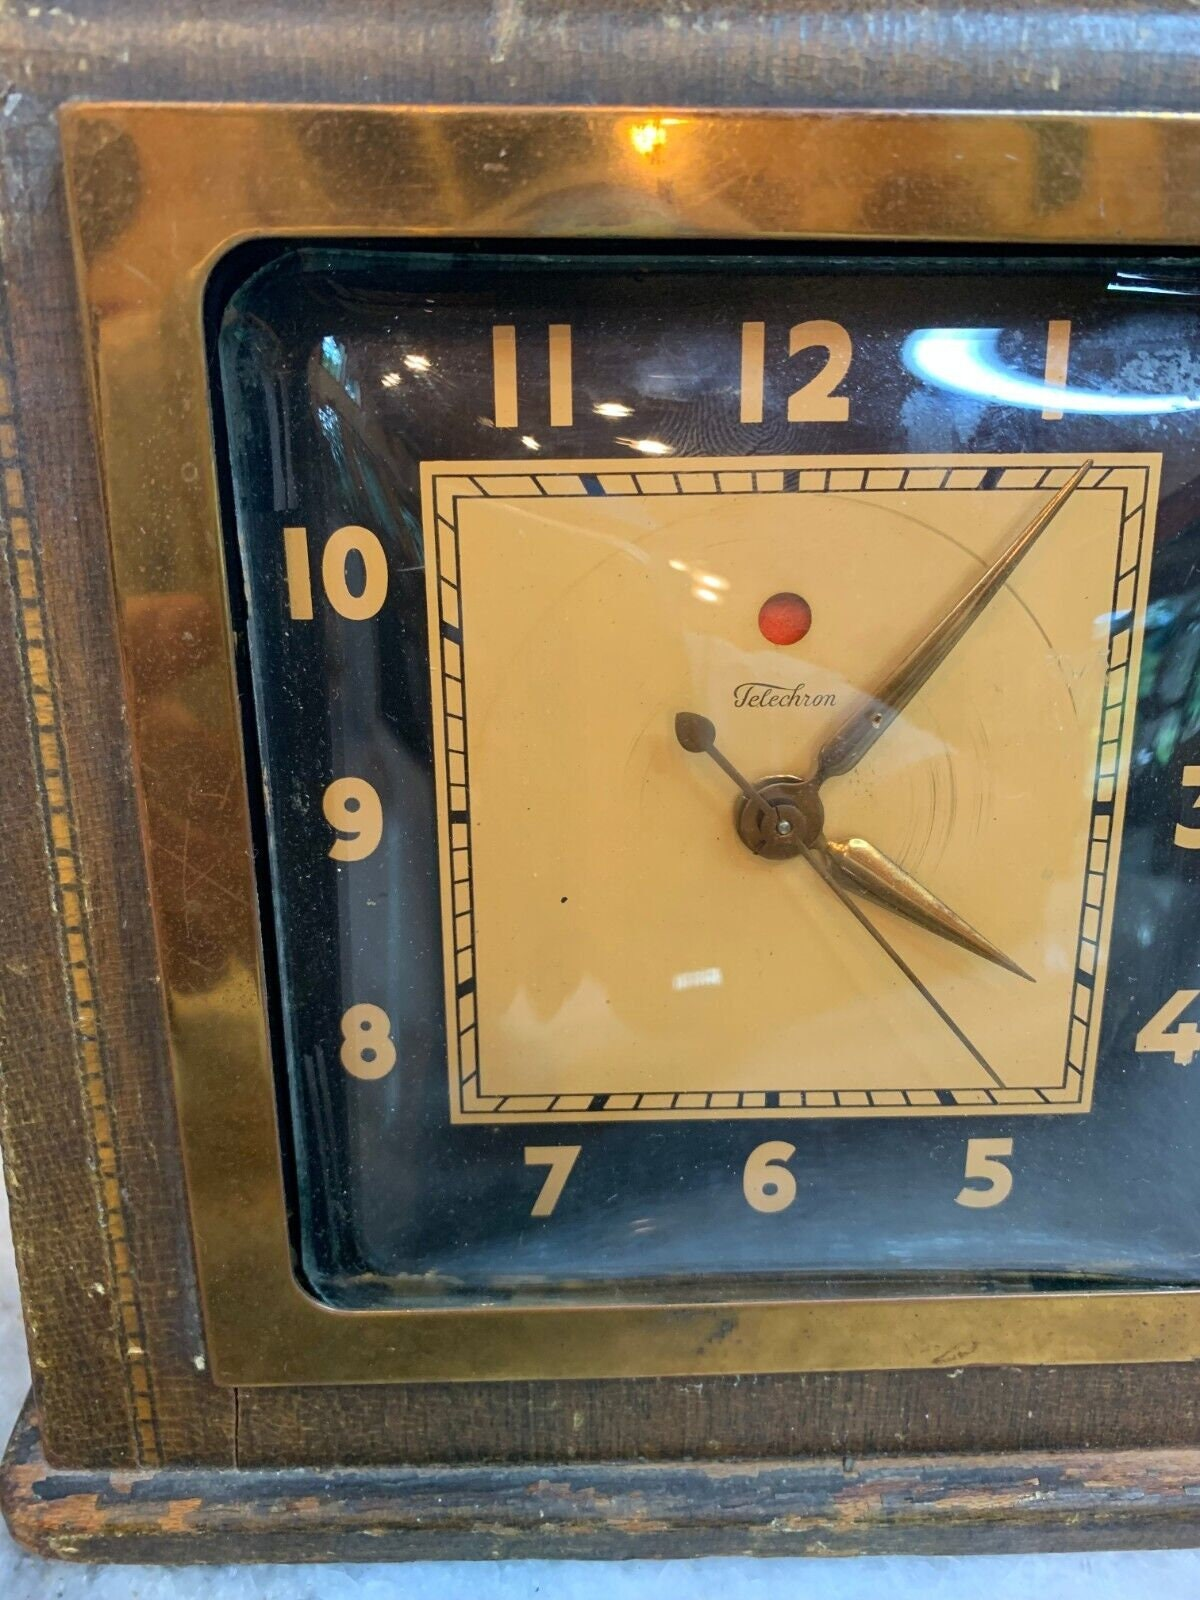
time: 4:07
